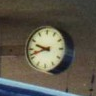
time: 9:42
